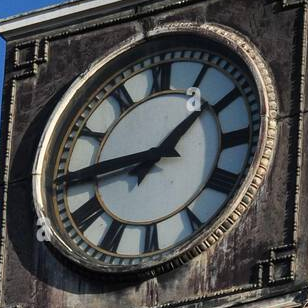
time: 1:44
